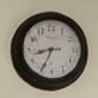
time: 8:34
